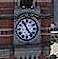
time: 11:23
